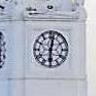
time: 6:02
